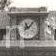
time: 11:07
